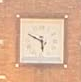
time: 5:49
